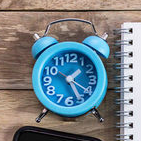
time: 1:26
